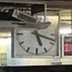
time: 5:18
